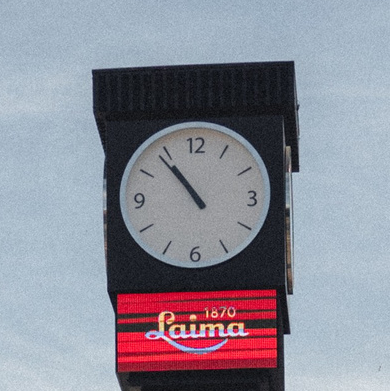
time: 10:53
